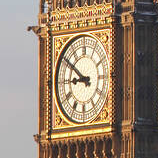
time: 8:50
